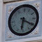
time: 6:20
